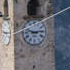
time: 2:48
